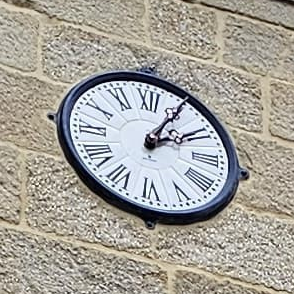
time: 2:04
